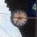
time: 7:15
